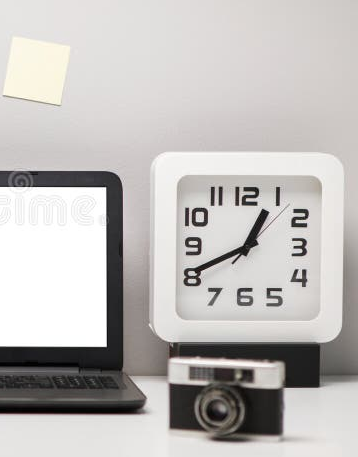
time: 12:40
